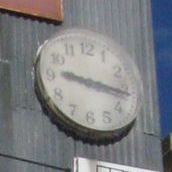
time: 9:16
